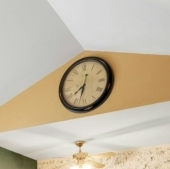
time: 7:32
